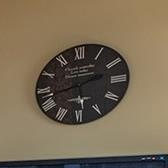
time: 5:42
